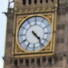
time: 4:23
